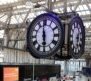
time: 5:58
